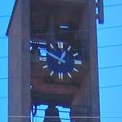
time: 12:49
